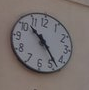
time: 10:23
